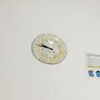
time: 9:47
